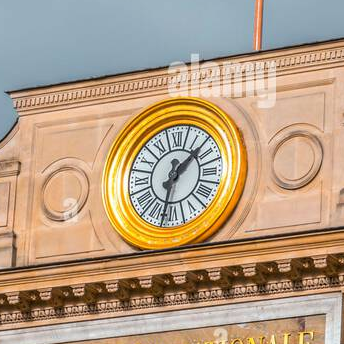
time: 1:32
